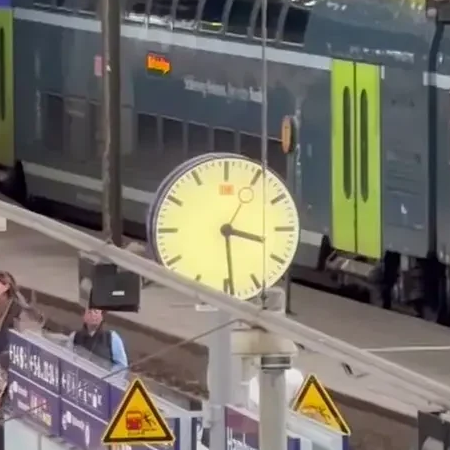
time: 3:29
